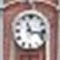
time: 11:16
